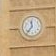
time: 11:36
